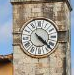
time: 4:22
